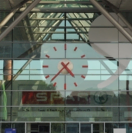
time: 4:37
